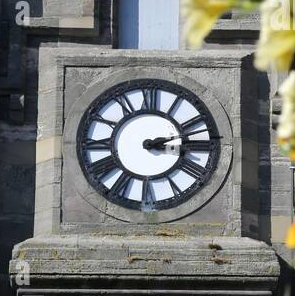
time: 3:12
